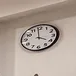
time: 3:58
